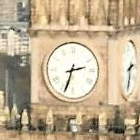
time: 2:33
